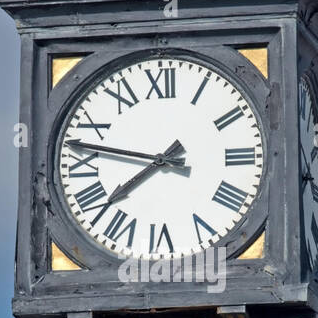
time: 7:46
